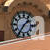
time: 1:35
